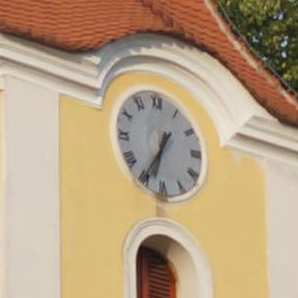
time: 6:35
